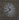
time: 10:38
